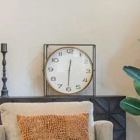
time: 12:30
